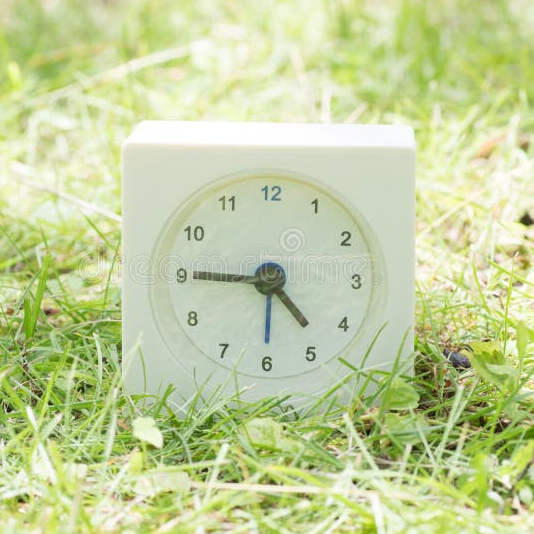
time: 4:45
